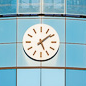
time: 5:08
